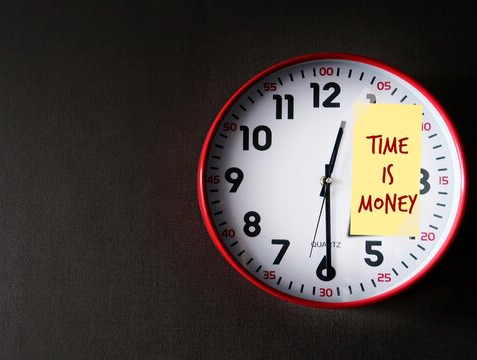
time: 12:29
